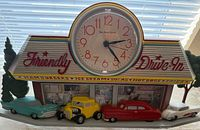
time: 2:23
